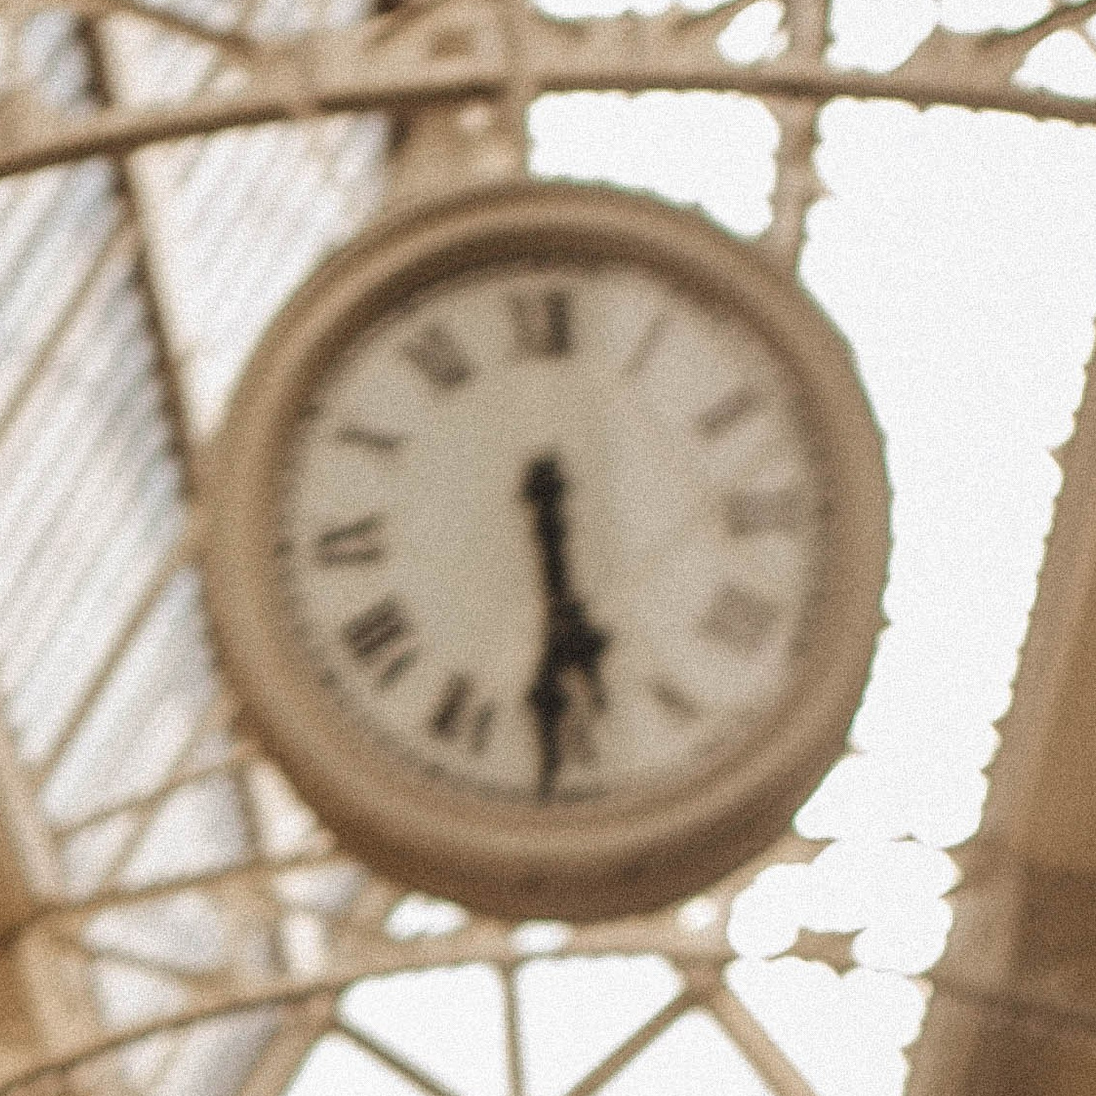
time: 5:29
